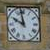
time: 9:57
